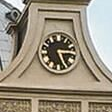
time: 5:14
